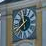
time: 11:38
